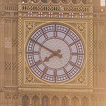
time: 7:49
